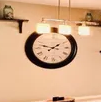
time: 1:47
